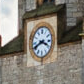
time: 3:40
